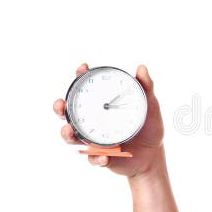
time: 3:08
